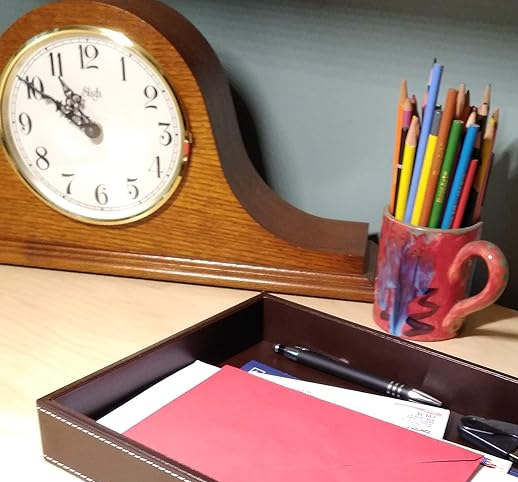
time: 10:50
